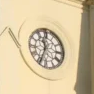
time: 11:33
